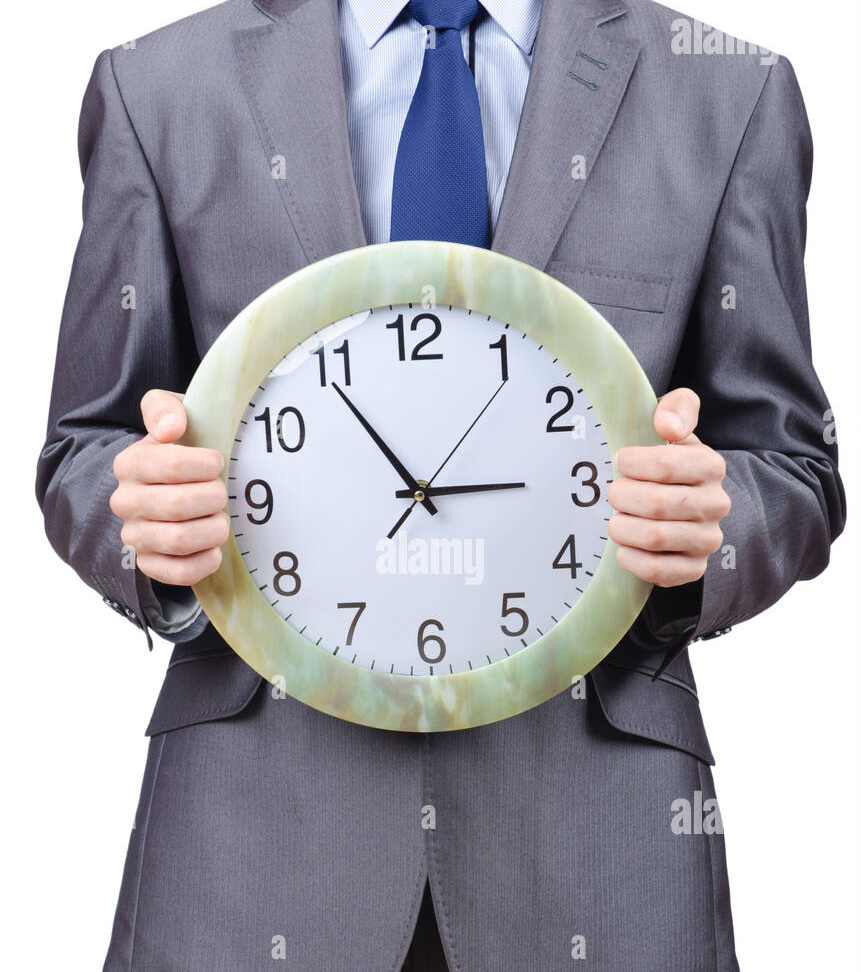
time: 2:54
